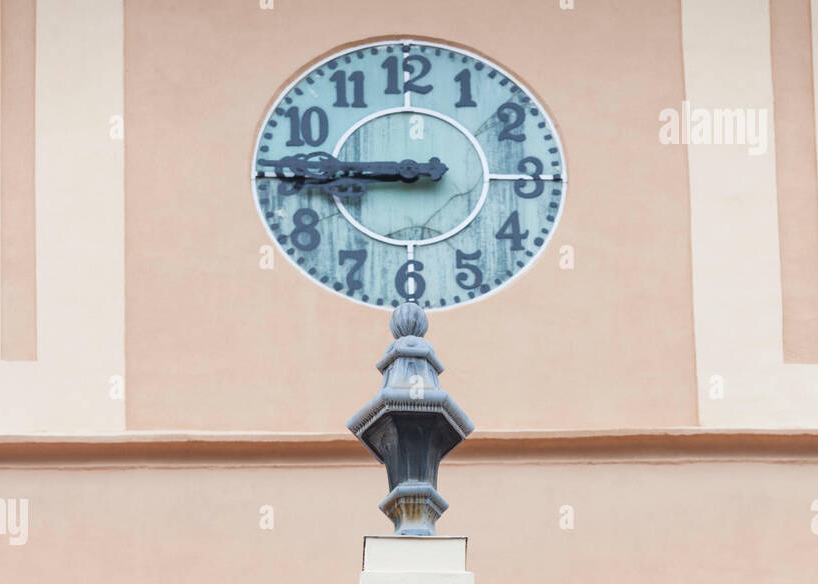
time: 8:45
